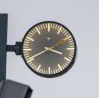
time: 3:40
